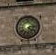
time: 4:13
